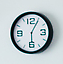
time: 6:04
